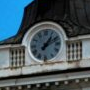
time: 1:11
